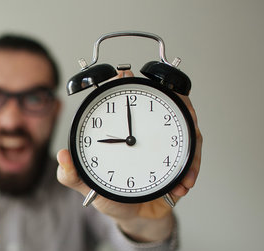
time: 8:59
